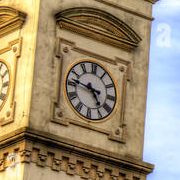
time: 4:46
